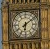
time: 6:08
